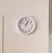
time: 12:52
